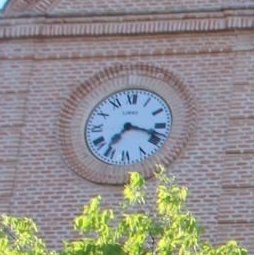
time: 7:17
